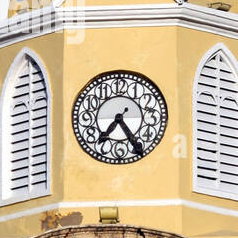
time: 7:24
